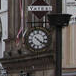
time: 4:21
